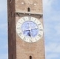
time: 6:13
